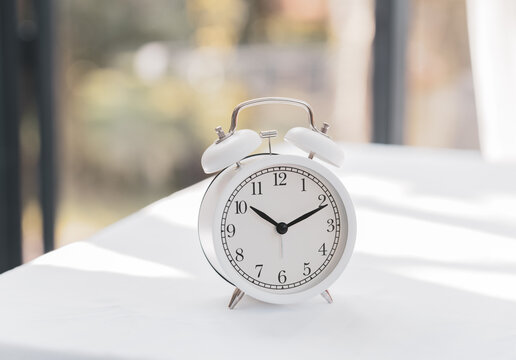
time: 10:11
